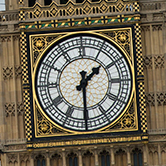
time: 1:29
